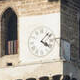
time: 4:07
